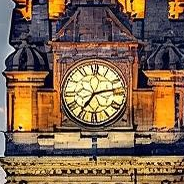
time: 7:13
